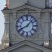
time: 8:07
